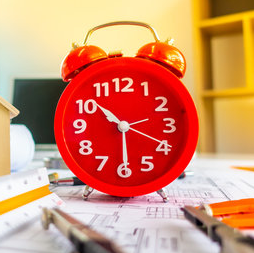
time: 10:29
